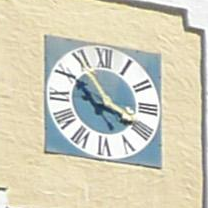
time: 3:55
